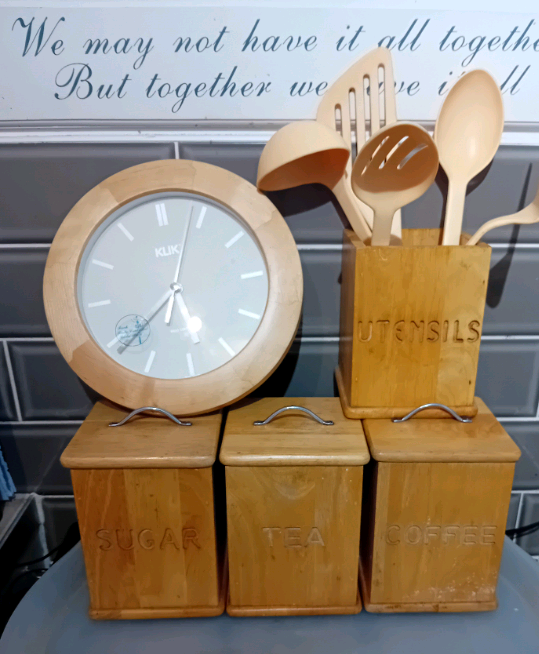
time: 5:38
